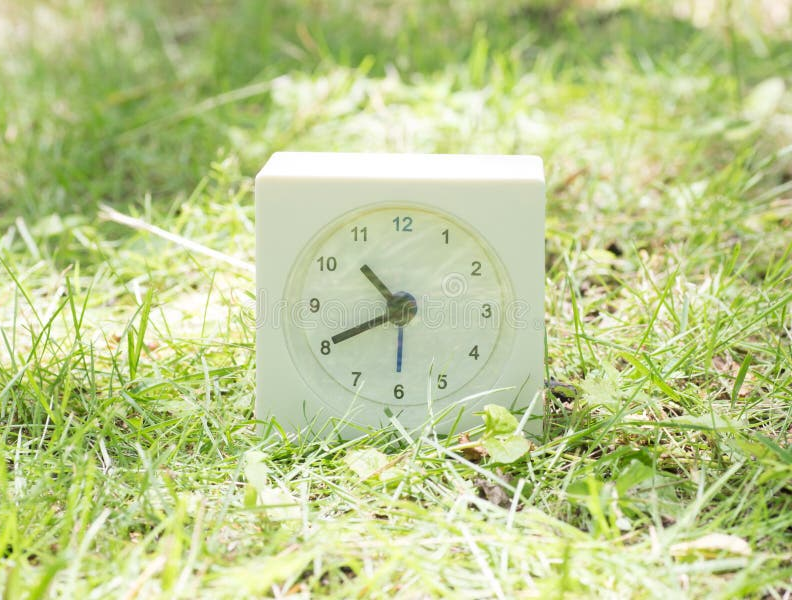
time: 10:40
